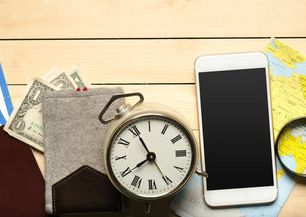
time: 7:55
